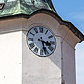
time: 3:27
